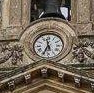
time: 11:34
